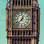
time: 12:37
